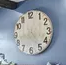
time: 4:42
